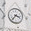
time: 3:36
